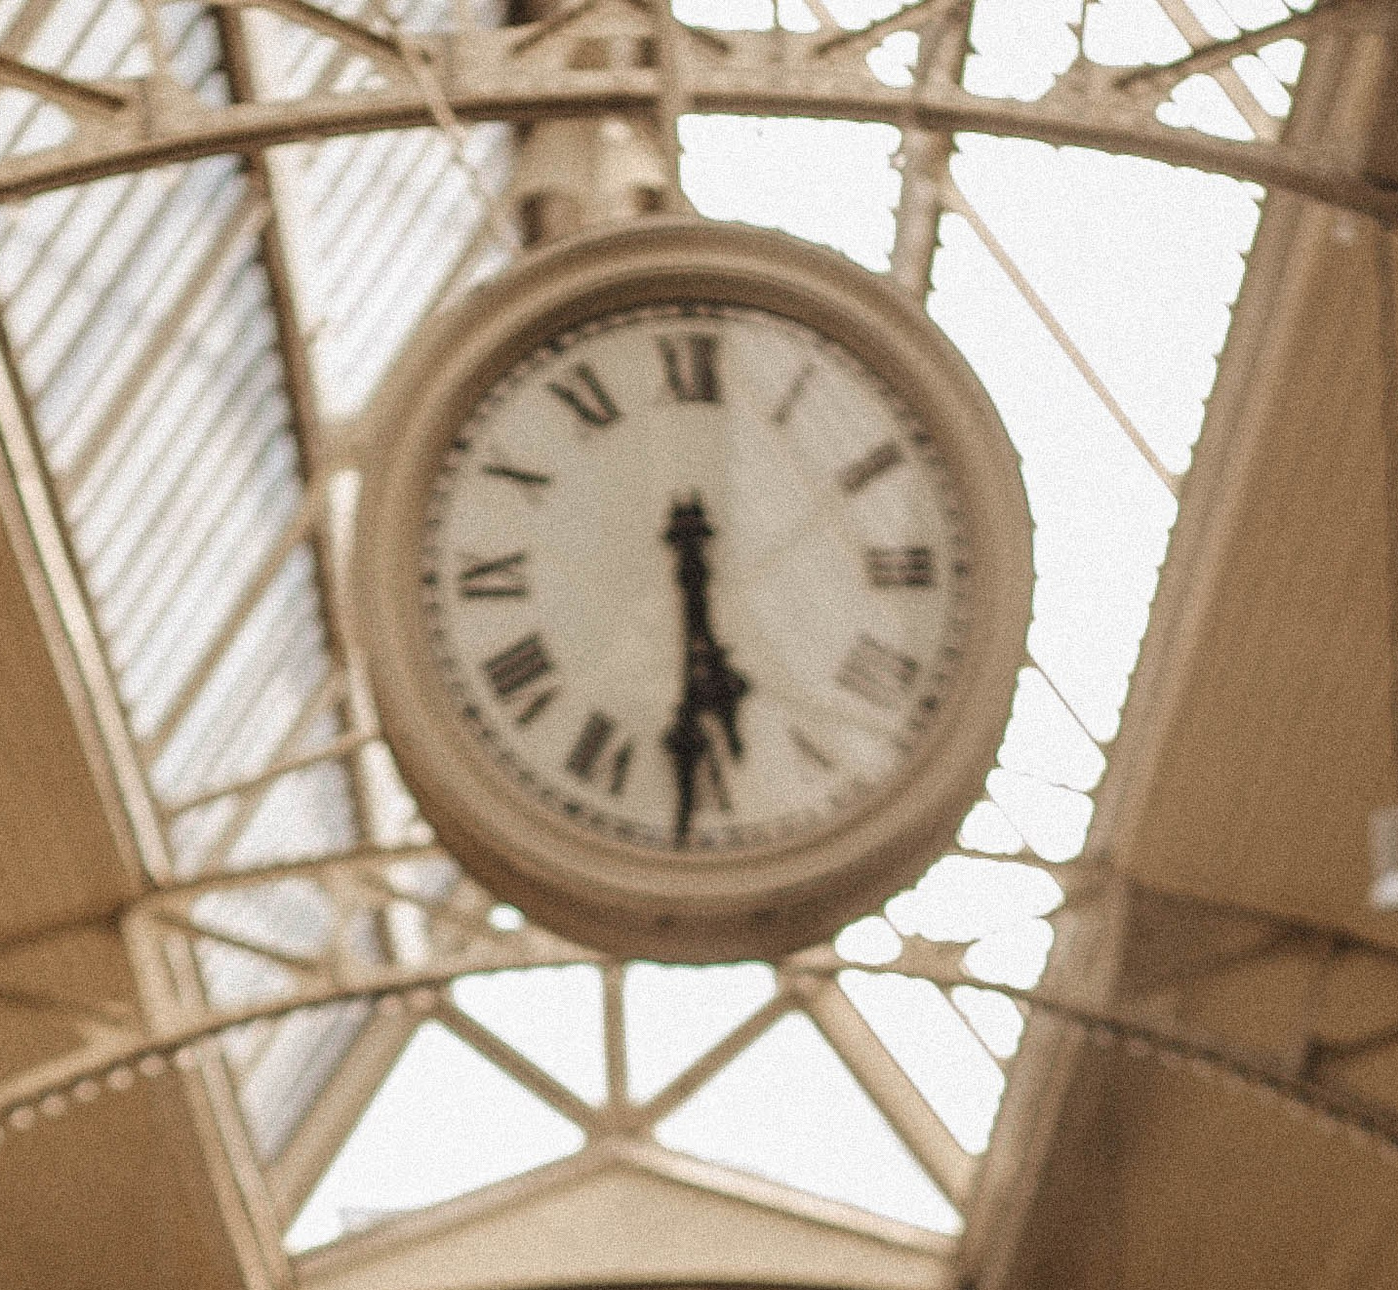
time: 5:30
